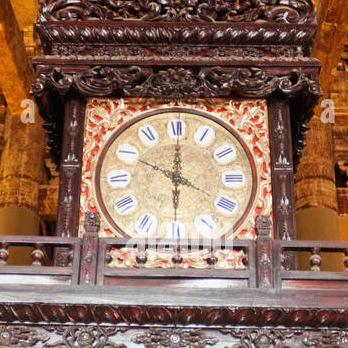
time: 10:00
